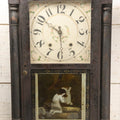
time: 5:50
